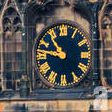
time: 10:47
